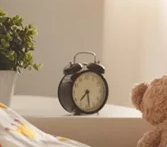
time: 7:28
